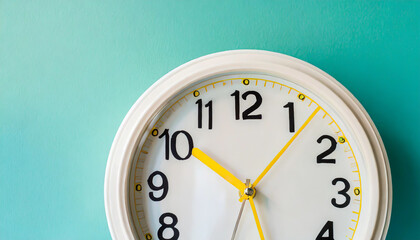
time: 10:06
